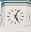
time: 5:03
